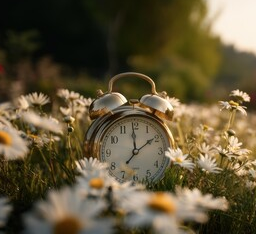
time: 1:59
